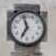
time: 6:57
